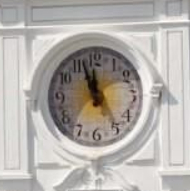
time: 11:56
